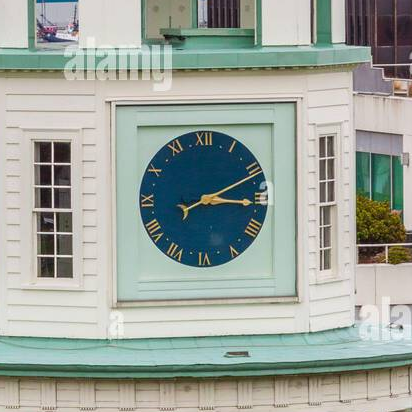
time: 3:11
